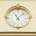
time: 11:07
